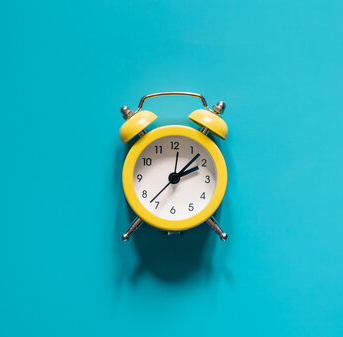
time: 2:07
